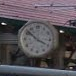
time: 3:52
